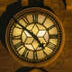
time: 4:51
